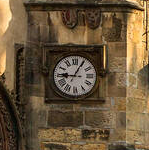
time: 9:05
